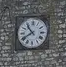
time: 10:40
